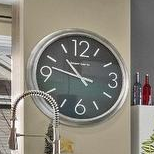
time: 10:47
